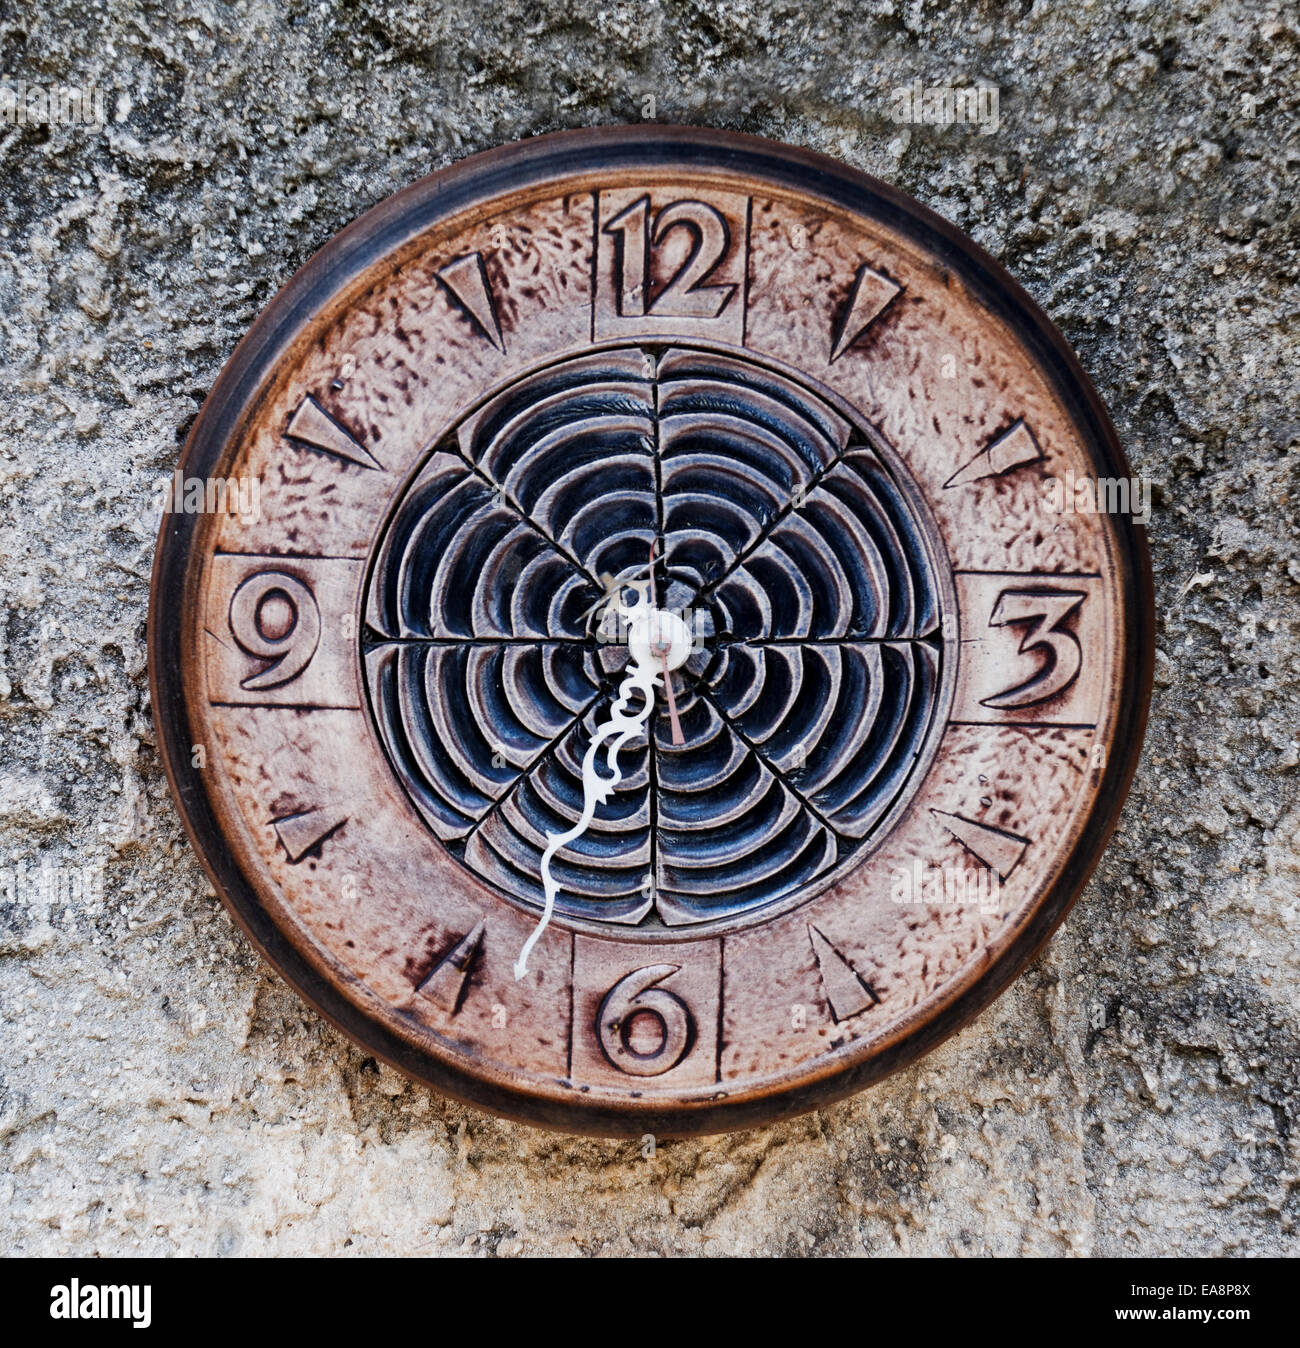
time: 6:32
